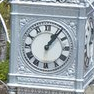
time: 1:06
